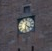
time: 4:31
